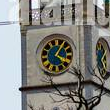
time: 4:05
